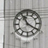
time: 11:20
